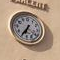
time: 6:35
